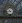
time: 4:42
